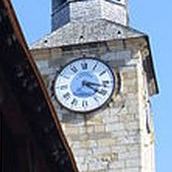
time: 3:20
